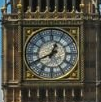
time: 12:40
